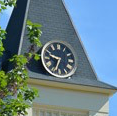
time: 9:33
